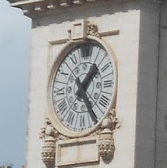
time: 1:24
